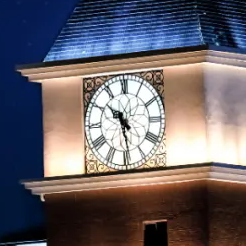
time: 10:28
